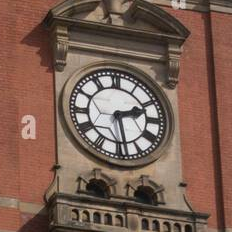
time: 2:28
